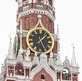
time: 1:26
